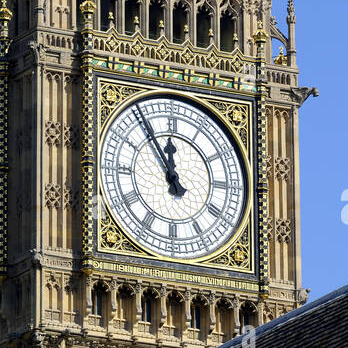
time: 11:54
